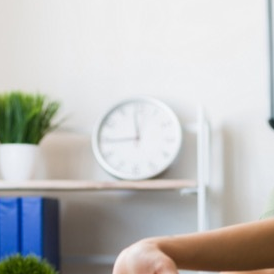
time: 11:44
